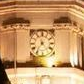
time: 11:36
